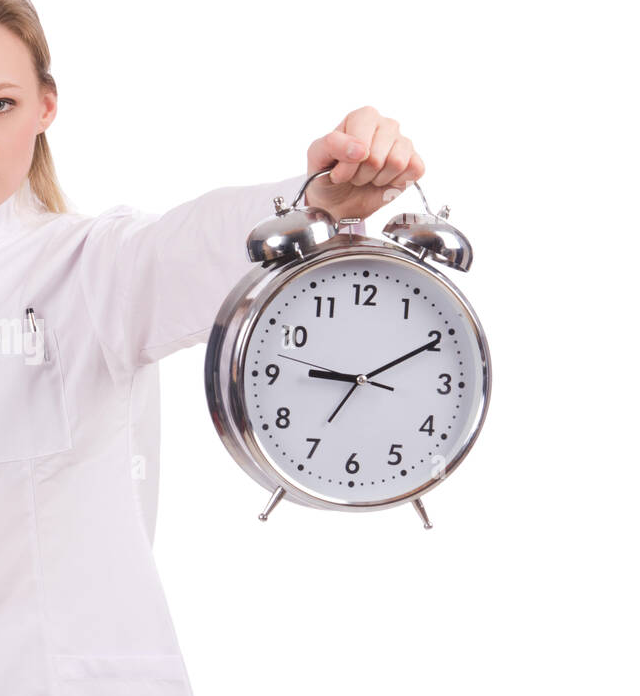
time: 9:10
